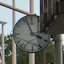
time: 3:56
